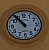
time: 10:53
